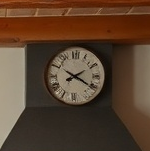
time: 2:20
